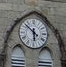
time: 5:51
